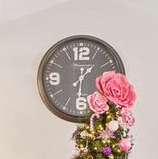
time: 1:30
